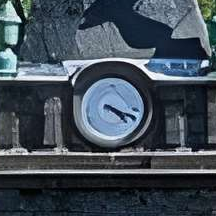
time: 4:18
